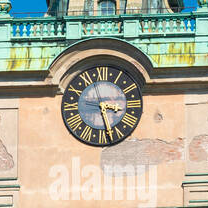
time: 3:27
